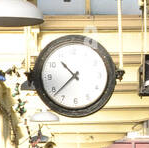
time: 10:38
